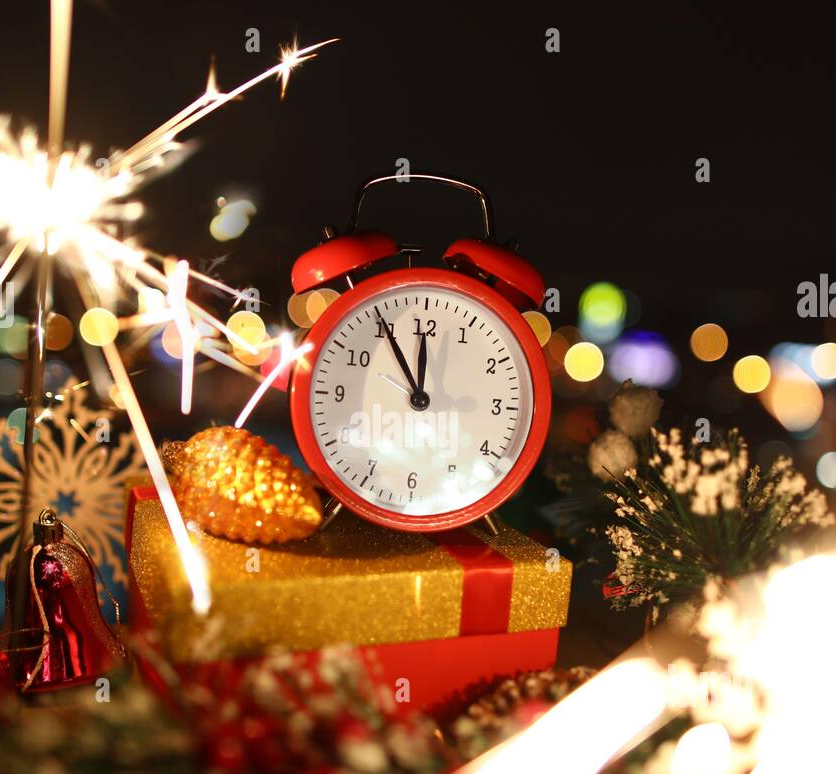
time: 11:54
